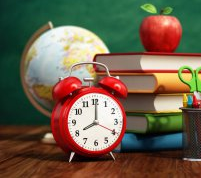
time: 8:00
